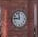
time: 11:46
